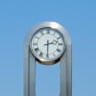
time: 2:29
